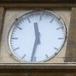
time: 11:31
